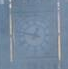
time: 12:47
